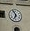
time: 6:56
